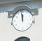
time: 11:58
